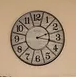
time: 2:17
